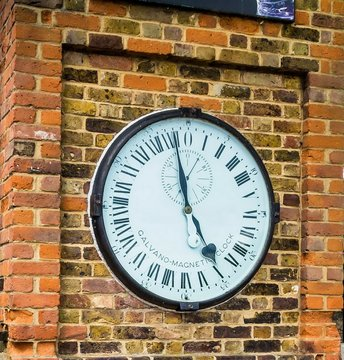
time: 4:58
